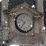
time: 10:36
